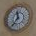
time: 11:36
